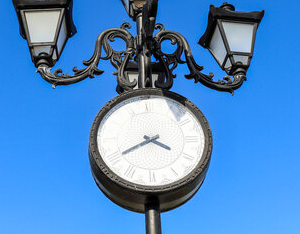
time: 3:40
